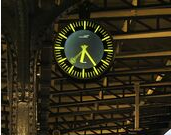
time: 6:24
